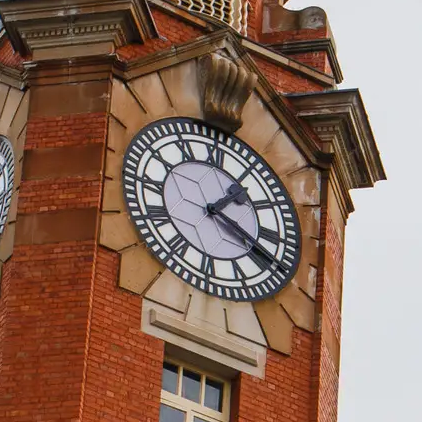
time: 1:18
